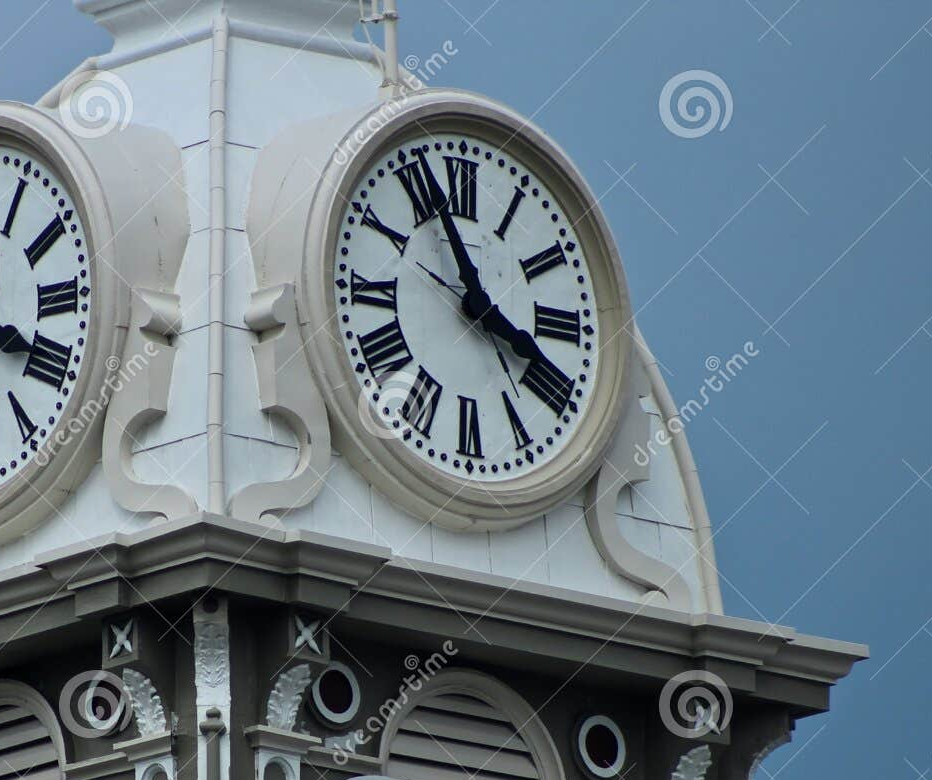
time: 3:56
